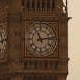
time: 11:13
